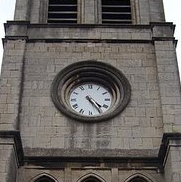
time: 4:24
